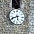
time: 5:41
